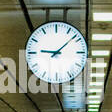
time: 9:08
